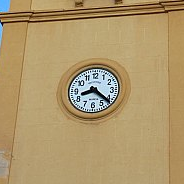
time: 8:21
